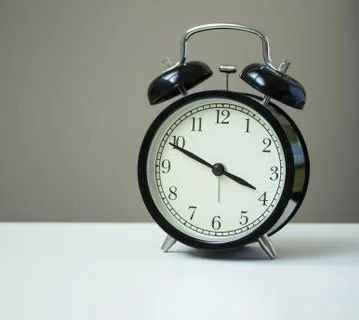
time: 3:49
